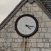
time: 4:16
